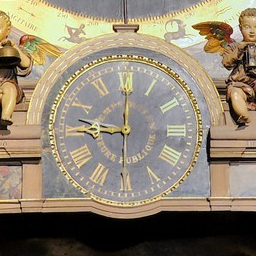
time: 9:00
